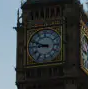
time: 8:48
